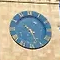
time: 10:26
